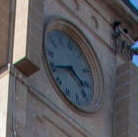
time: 3:40
